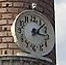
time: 3:07
